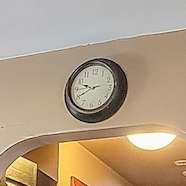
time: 9:40
